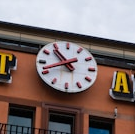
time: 10:41
